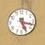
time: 5:17
